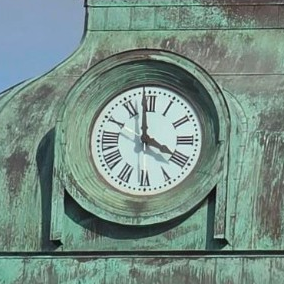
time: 3:58
